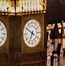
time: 6:50
